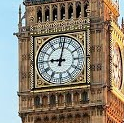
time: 9:01
